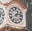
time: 1:12
